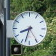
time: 8:32
